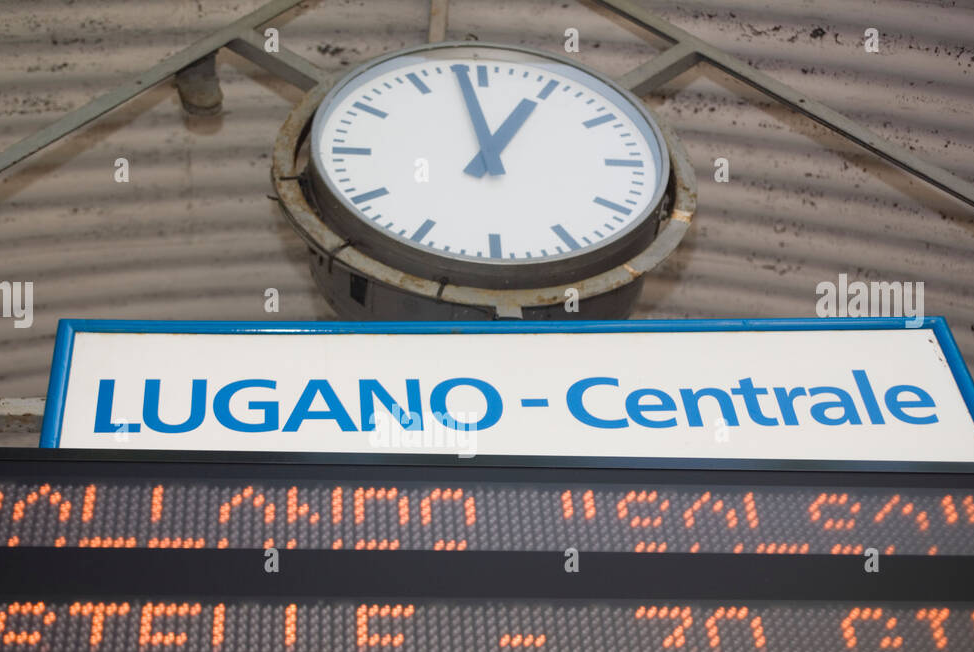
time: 12:58
